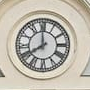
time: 7:59
